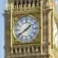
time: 1:39
